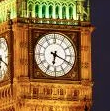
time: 6:19
